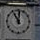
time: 11:01
